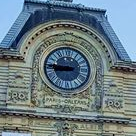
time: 8:45
